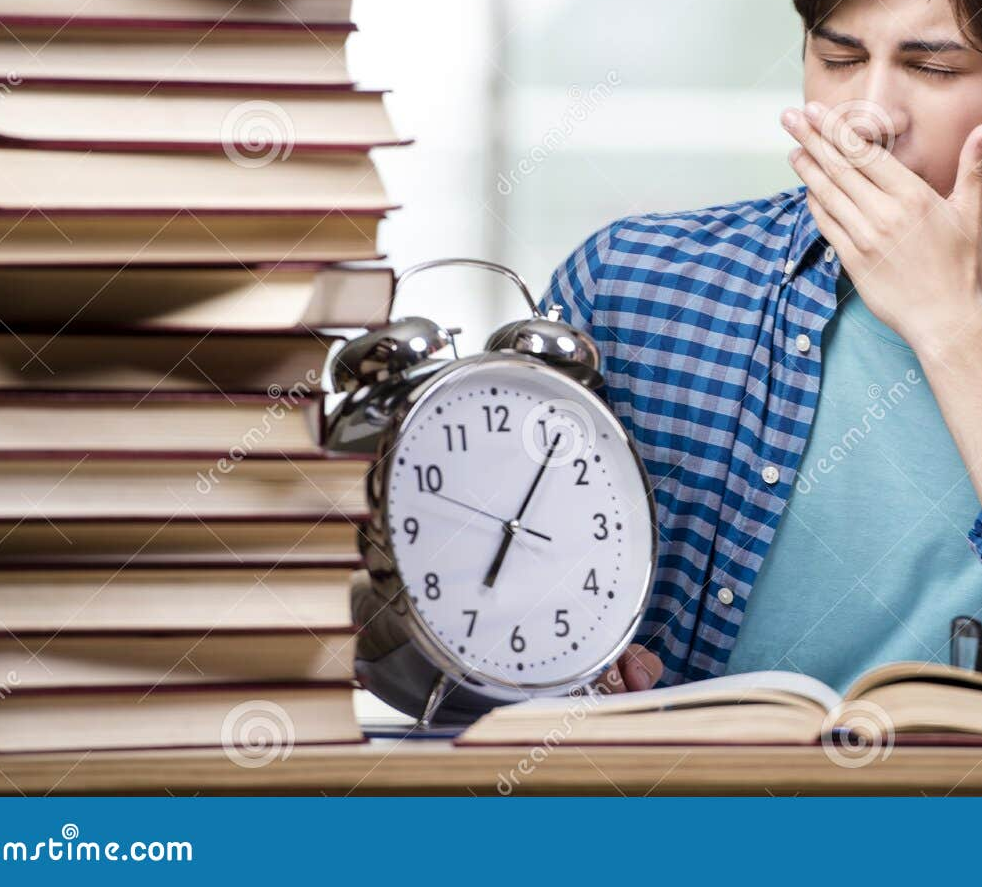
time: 7:06
